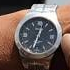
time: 12:32
